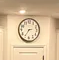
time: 2:35
